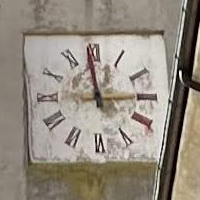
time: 2:58
